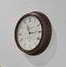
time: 11:14
